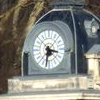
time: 3:32
